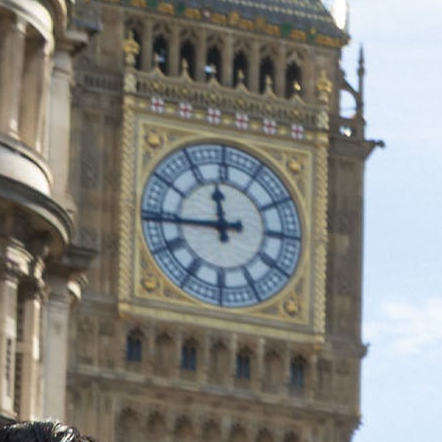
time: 11:44
